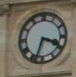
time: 3:33
